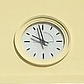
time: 9:57
